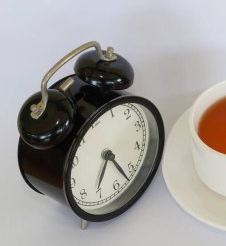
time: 6:22
